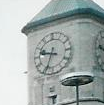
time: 9:33
